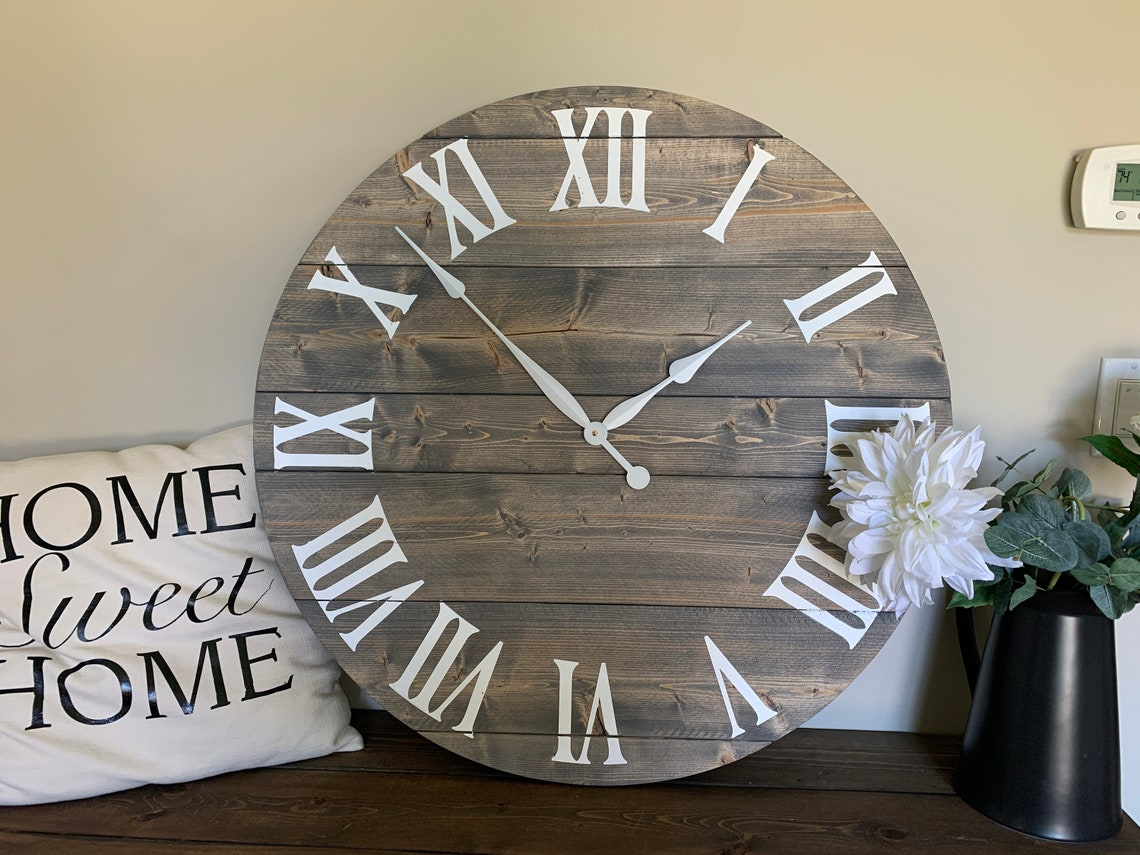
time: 1:52
